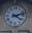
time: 4:12
